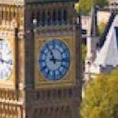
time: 11:15
